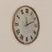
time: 12:11
